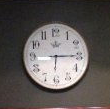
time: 6:15
